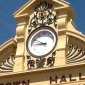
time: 8:49
